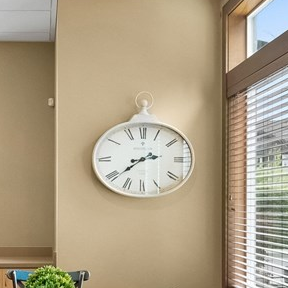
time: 2:38
